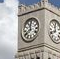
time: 11:40
